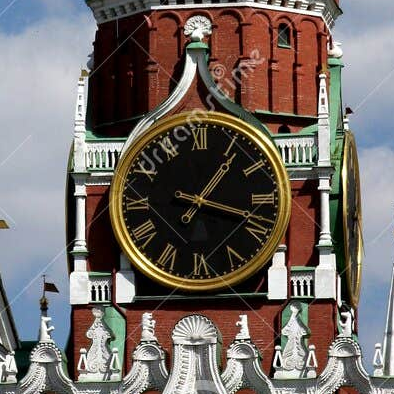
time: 1:18
